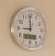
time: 8:59
